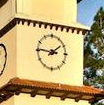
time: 1:46
